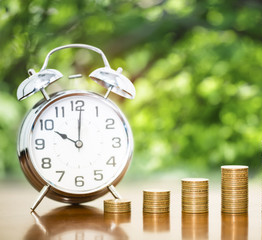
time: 10:00
